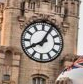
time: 8:04
